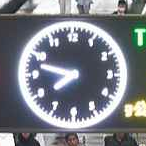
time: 7:47
